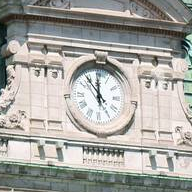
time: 11:53
